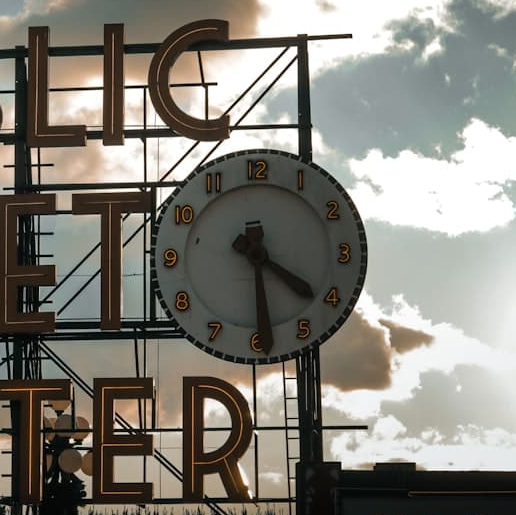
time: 4:29
